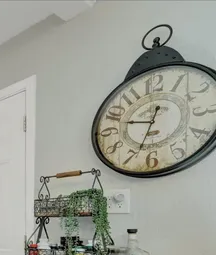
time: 9:33
